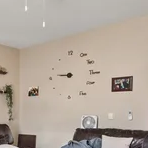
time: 8:46
